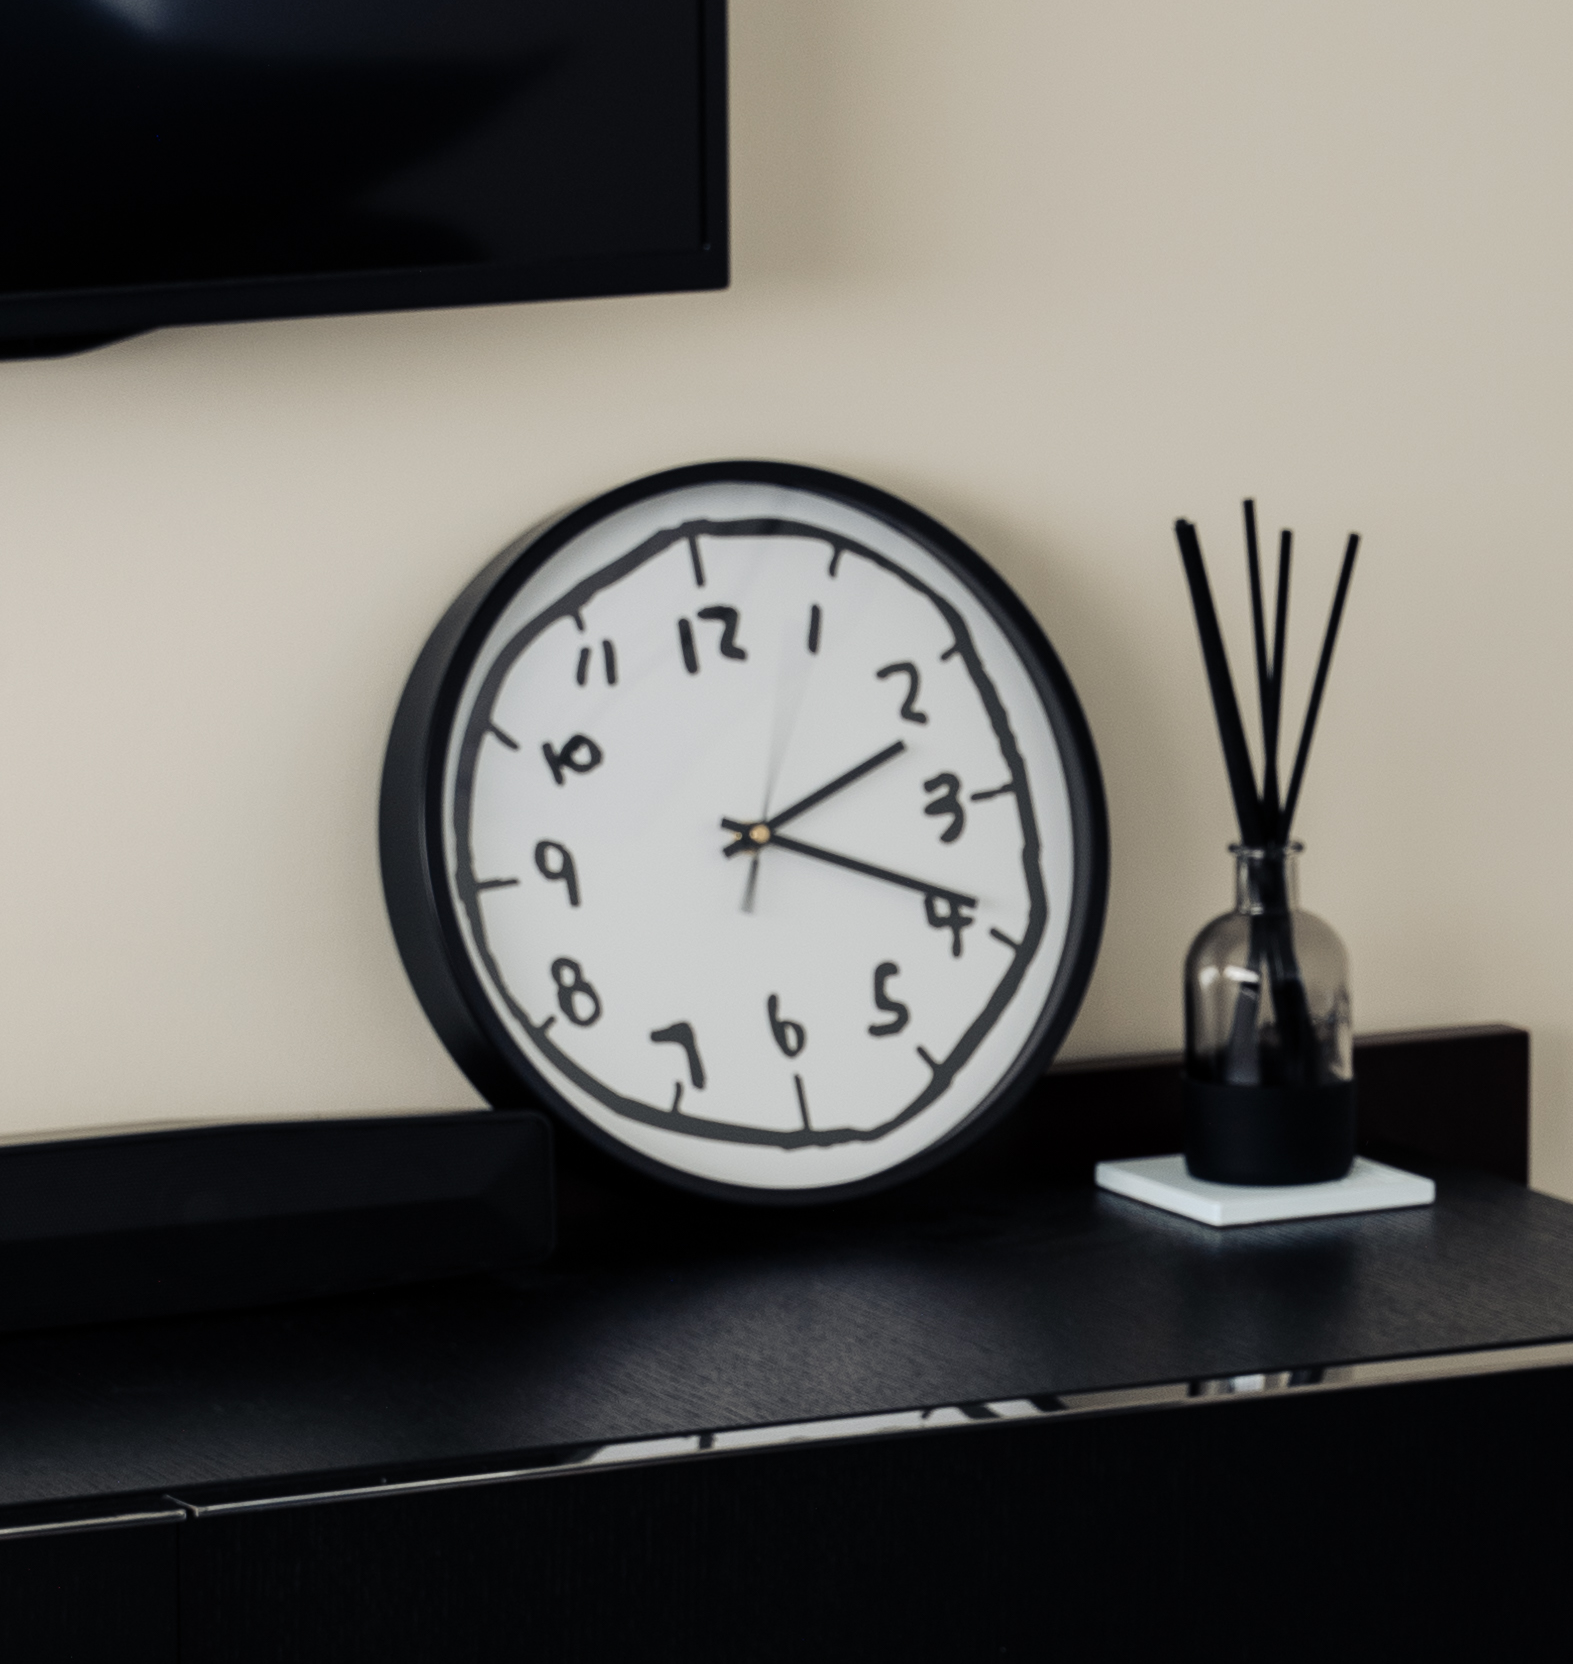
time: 2:19
